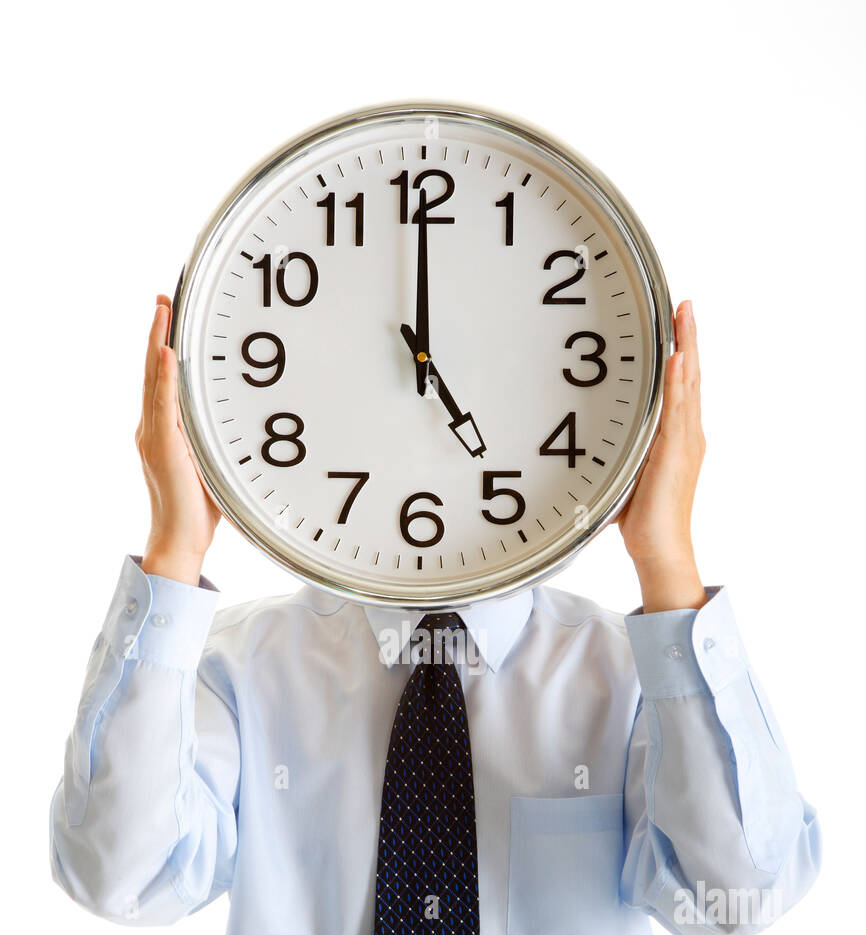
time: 5:00
